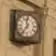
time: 11:36
